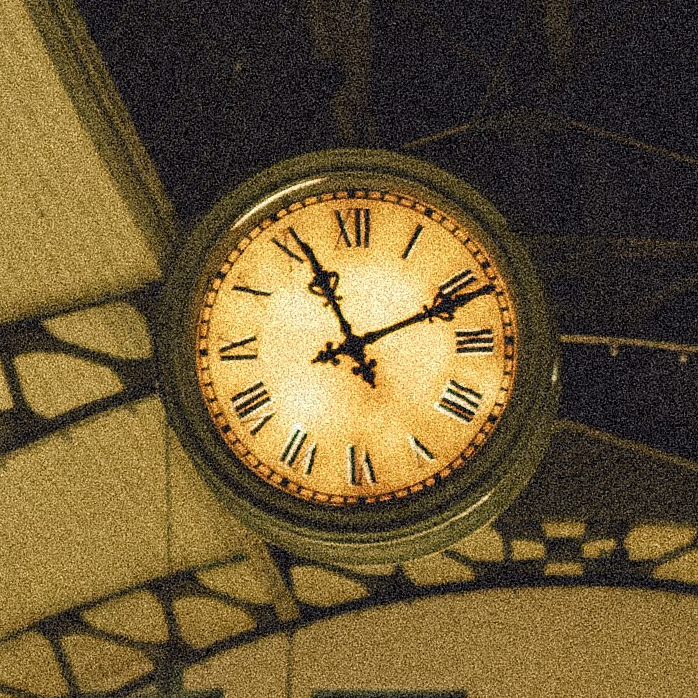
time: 11:11
